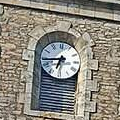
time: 6:43
